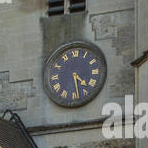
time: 4:28
